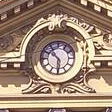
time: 10:30
